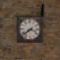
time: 3:38
